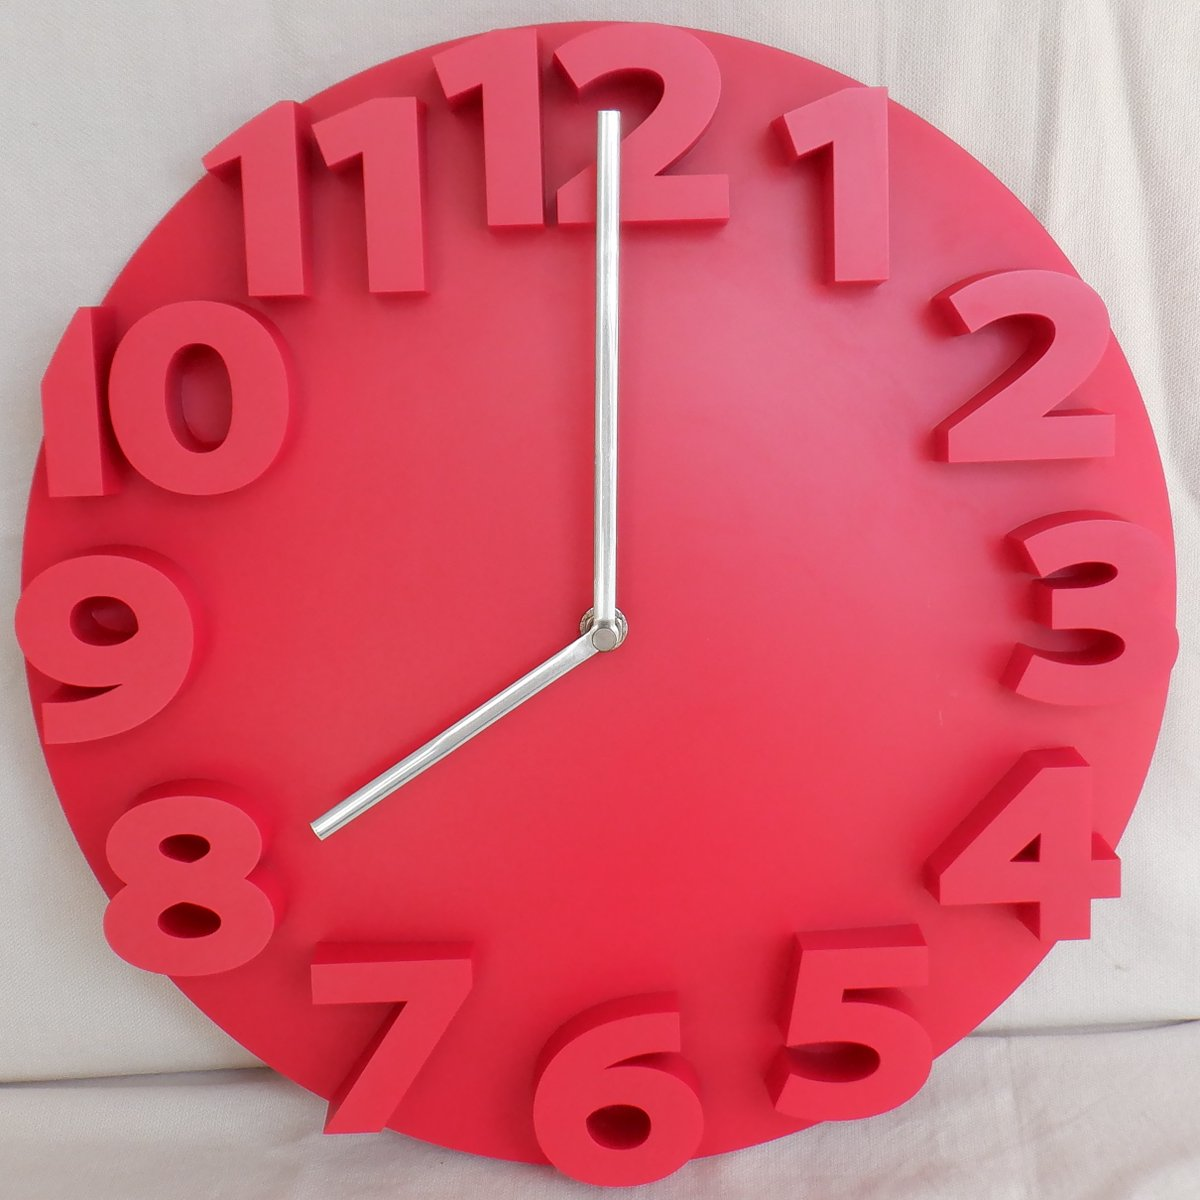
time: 8:00
